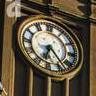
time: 6:23
